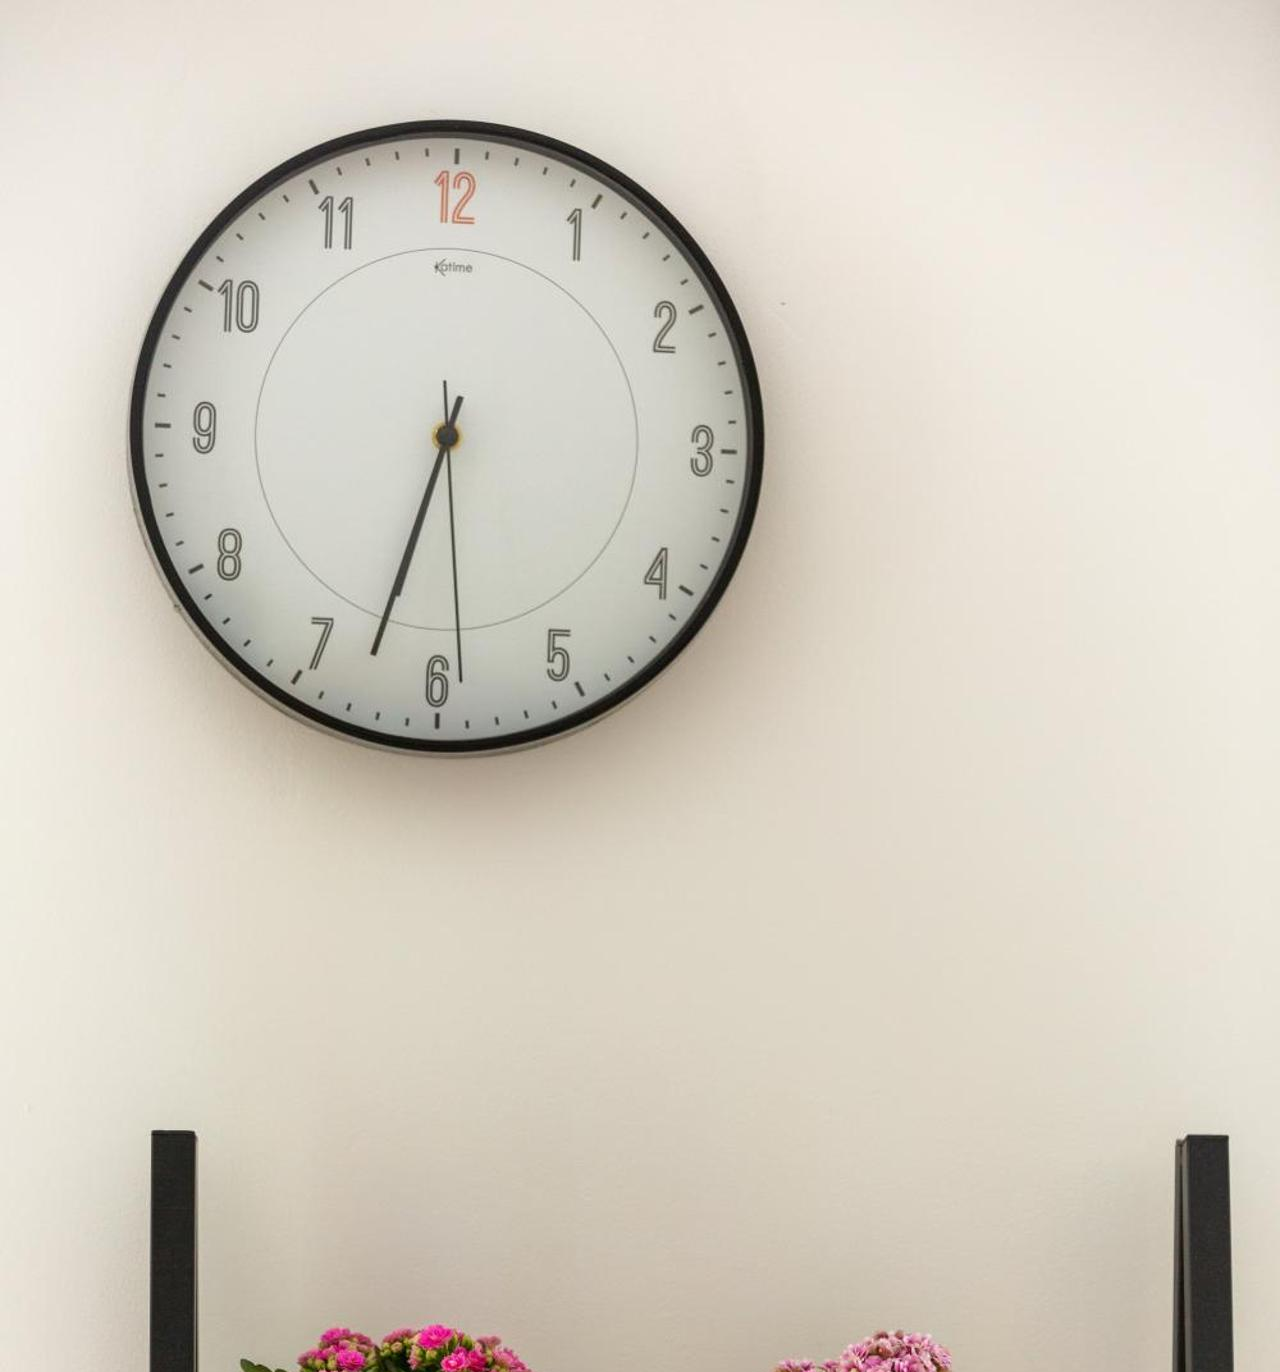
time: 6:32
